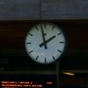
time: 1:57
